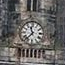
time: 11:36
